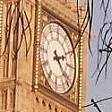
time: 2:21
